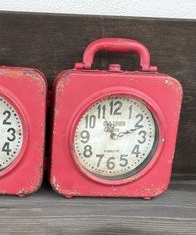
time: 11:11
